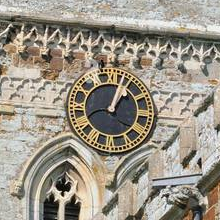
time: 1:03
